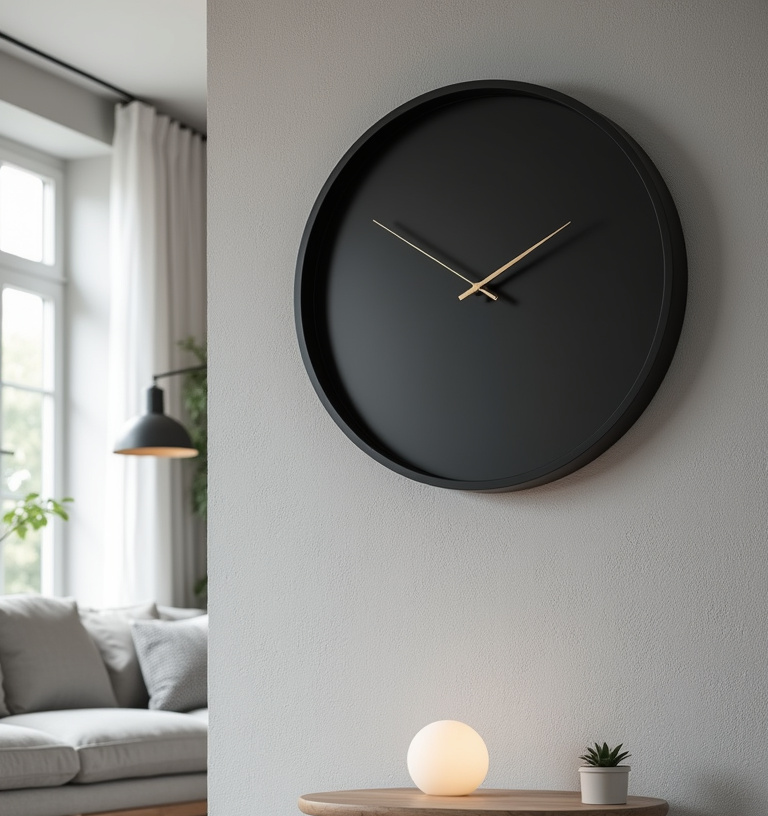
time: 1:50
